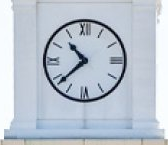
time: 10:38
